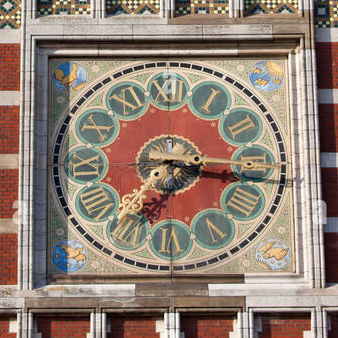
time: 7:16
